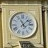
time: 11:07
